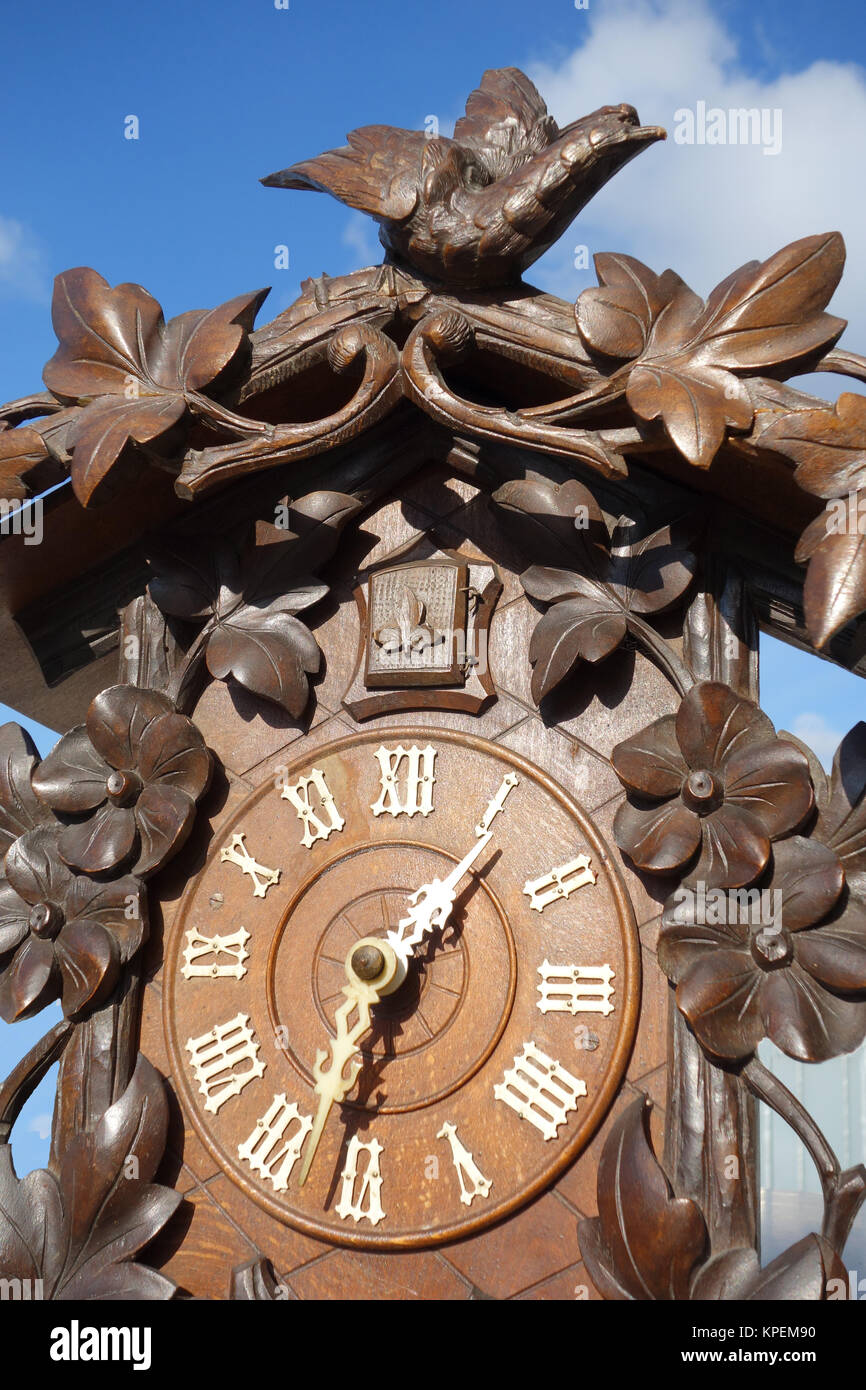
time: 1:32
